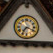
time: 7:19
